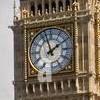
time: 1:57
